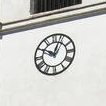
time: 10:03
